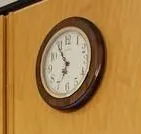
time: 6:54
